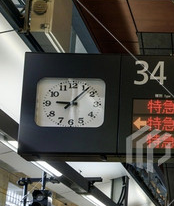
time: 9:07
